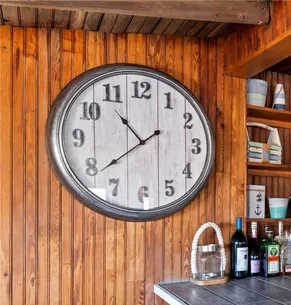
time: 10:38
